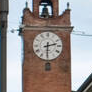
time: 2:30
